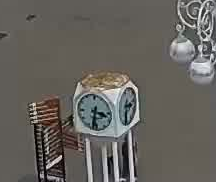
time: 3:32
